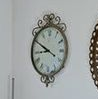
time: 8:49
